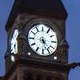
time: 4:26
